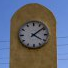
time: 4:08
